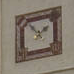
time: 1:53
